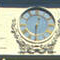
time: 12:30
